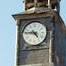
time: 4:46
